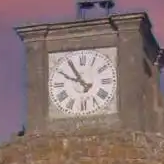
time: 9:54
